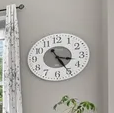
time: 3:25
